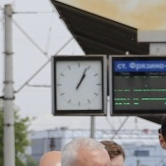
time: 1:04
